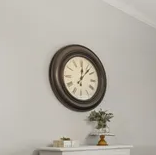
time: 12:07
